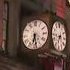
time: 6:28
